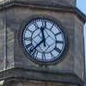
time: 11:37
